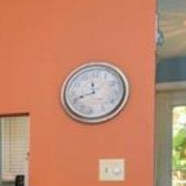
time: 11:41
